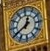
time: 12:39
